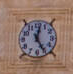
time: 12:25
